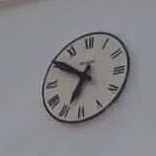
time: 6:50
